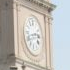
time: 2:42
